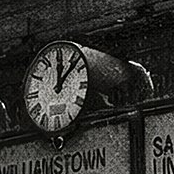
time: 12:07
